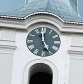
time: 4:59
